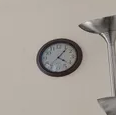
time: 4:06
